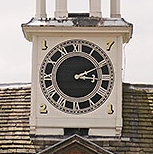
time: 3:10
